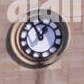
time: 12:55
